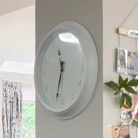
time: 11:32
